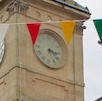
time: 3:23
